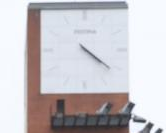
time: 4:21
